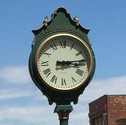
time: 3:14
